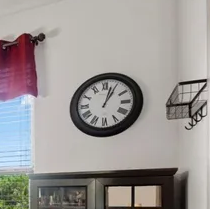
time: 1:02
